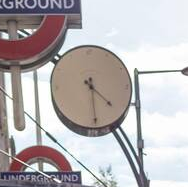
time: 4:29
